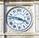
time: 3:47
